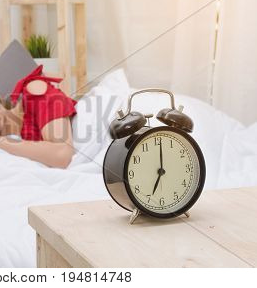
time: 7:01
